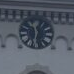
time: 11:32
